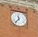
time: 11:36
